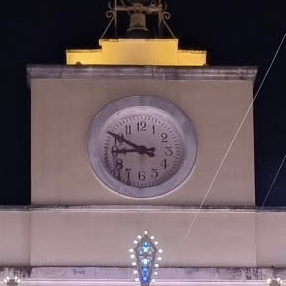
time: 8:49
